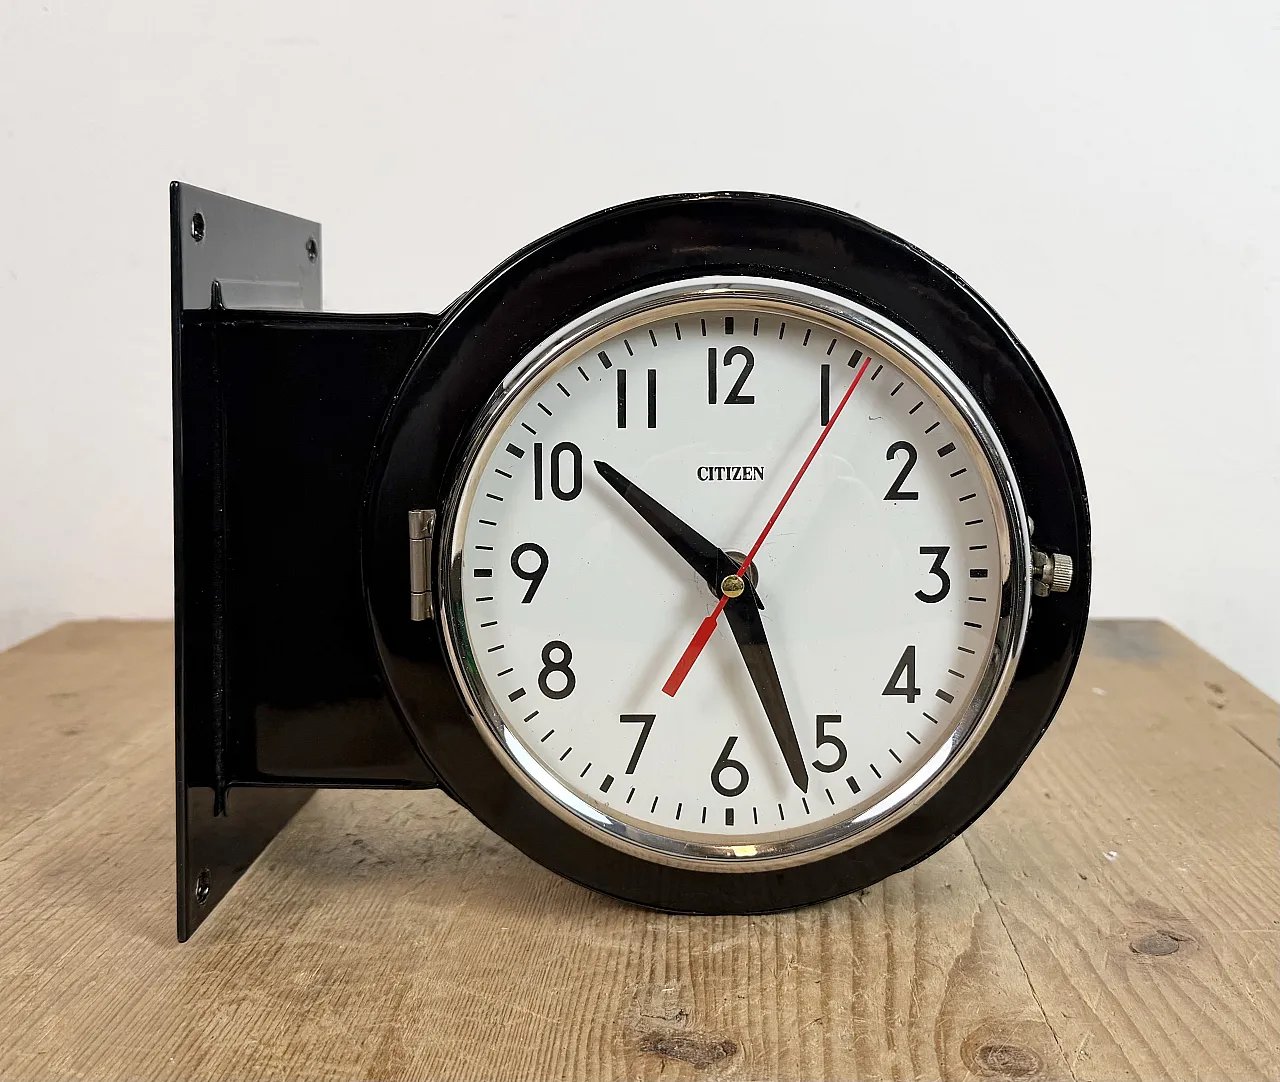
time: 10:26
